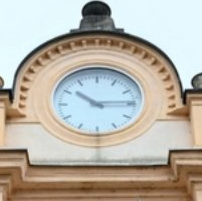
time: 10:14
